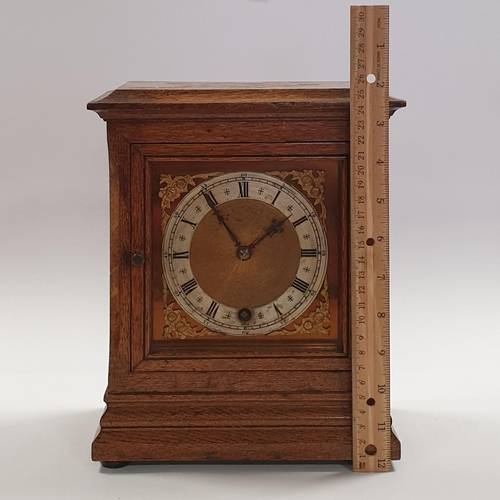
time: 1:54
